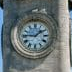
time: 1:45
